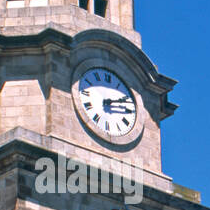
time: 2:11
